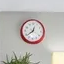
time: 12:38
